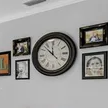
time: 11:52
